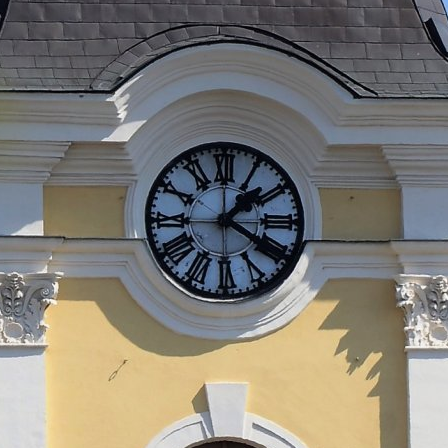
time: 1:20
